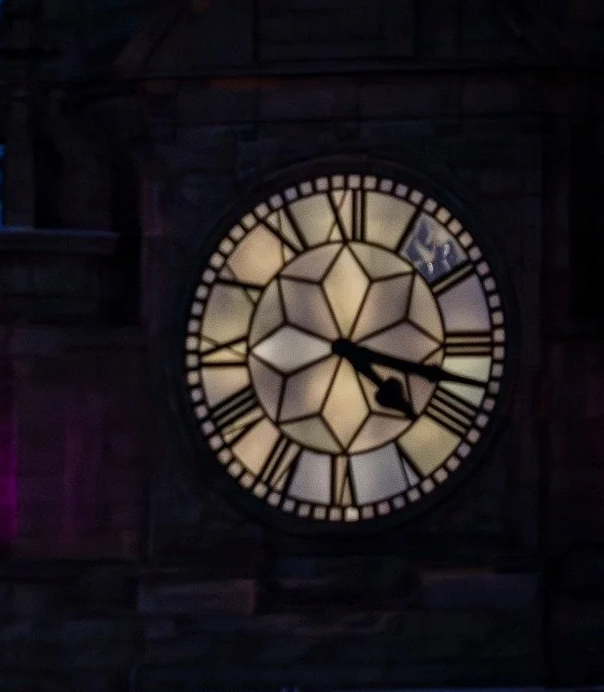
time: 4:17
